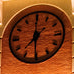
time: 7:30
